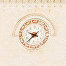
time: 9:38
